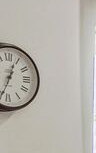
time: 12:34
